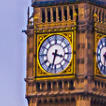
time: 3:33
